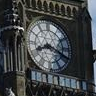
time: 8:18
